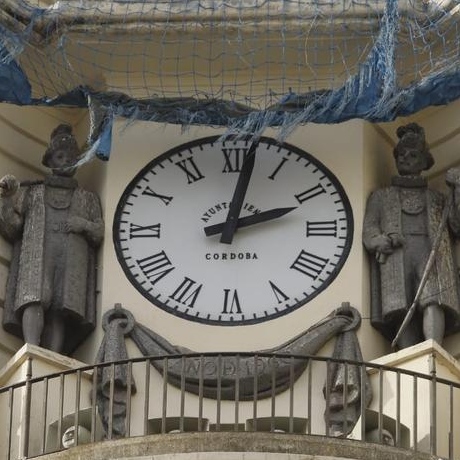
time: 2:01
